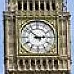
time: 2:52
